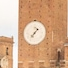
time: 7:07
